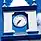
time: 7:36
